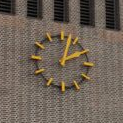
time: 2:02
